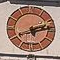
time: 2:13
